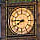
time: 7:45
